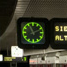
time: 11:11
